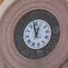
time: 12:58
